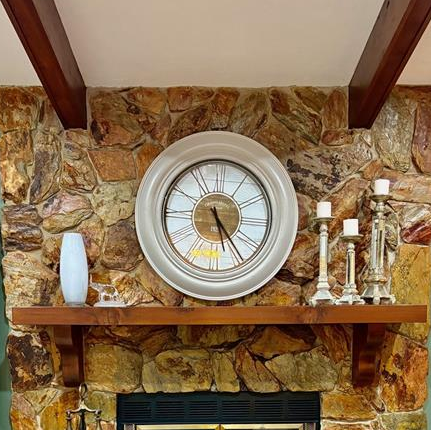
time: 5:24
